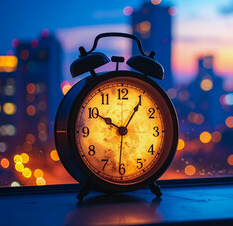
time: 10:05
